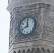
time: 11:41
